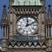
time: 12:11
